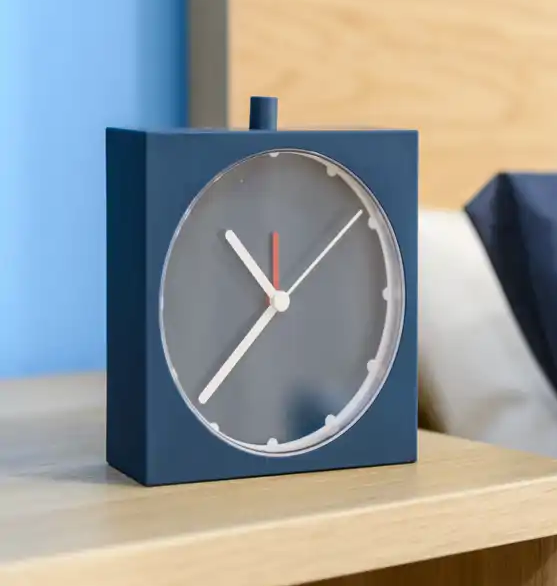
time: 10:37
